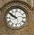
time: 9:50
